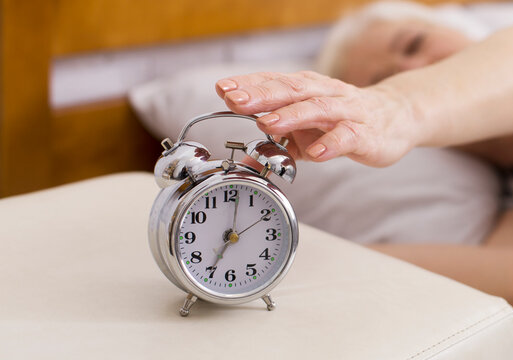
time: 7:01
